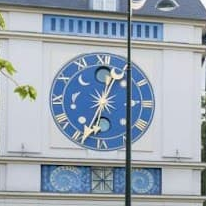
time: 12:33
